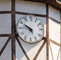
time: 4:50
